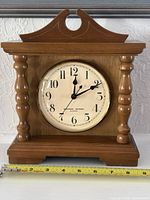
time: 12:10
